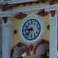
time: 8:36
